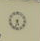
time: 5:33
